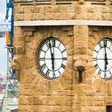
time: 5:57
